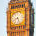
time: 8:26
